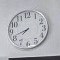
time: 7:41
